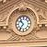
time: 10:36
